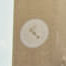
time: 4:22
